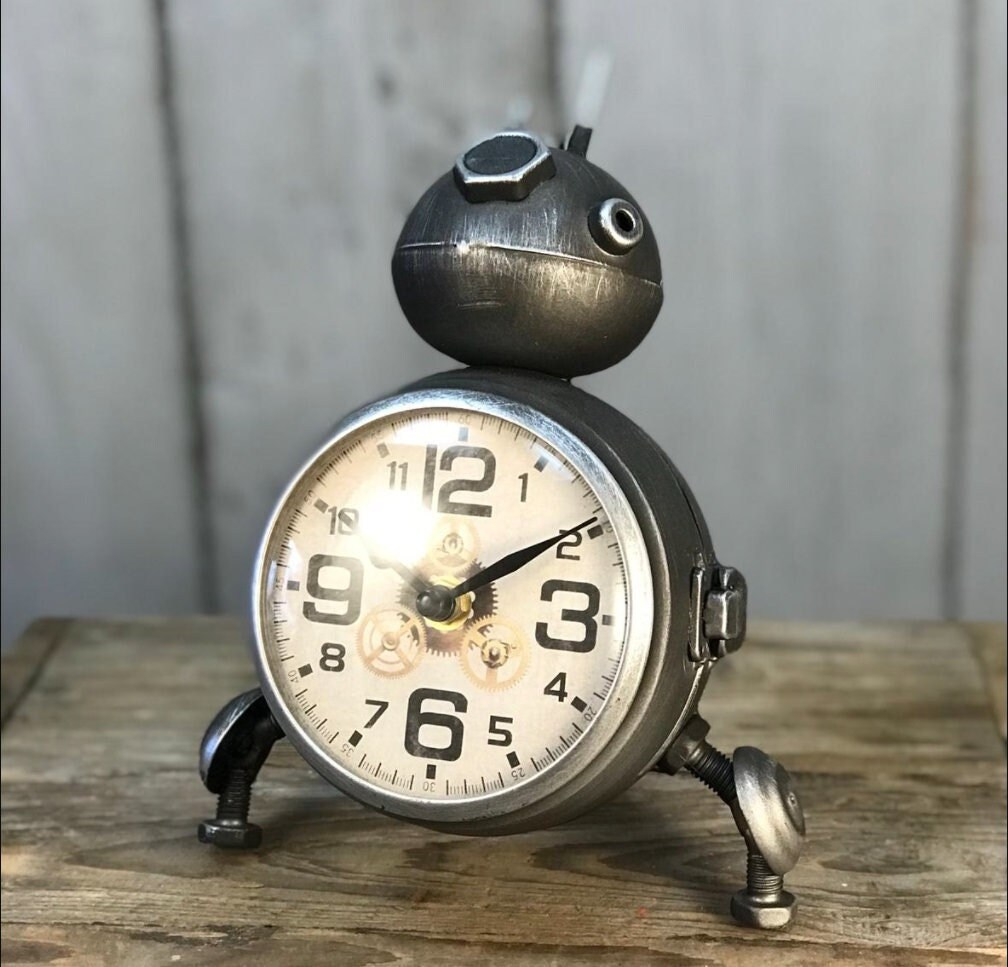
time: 2:09
